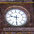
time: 9:30
